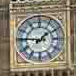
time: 1:46
